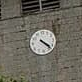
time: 4:22
